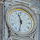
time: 11:32
